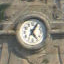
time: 5:05
